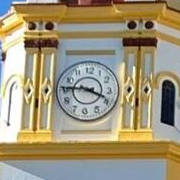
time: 3:45
